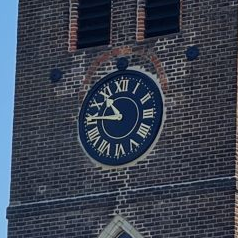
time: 10:45
